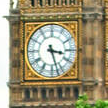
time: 3:27
